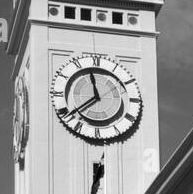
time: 11:38
